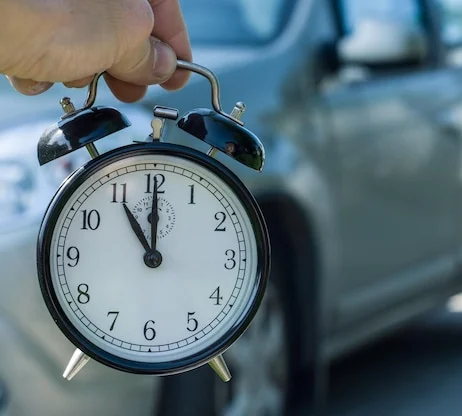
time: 11:00
